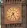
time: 7:25
